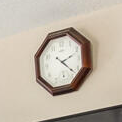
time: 2:21
